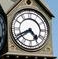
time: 4:40
